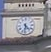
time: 4:31
